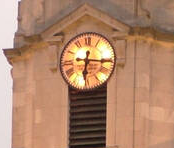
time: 6:15
